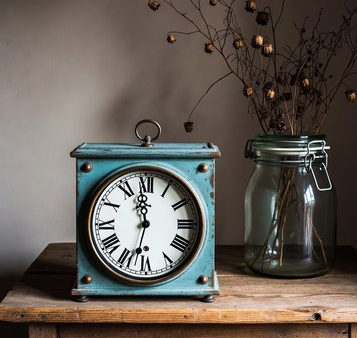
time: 11:32
